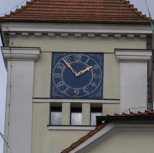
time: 1:53
